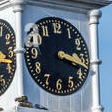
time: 3:17
